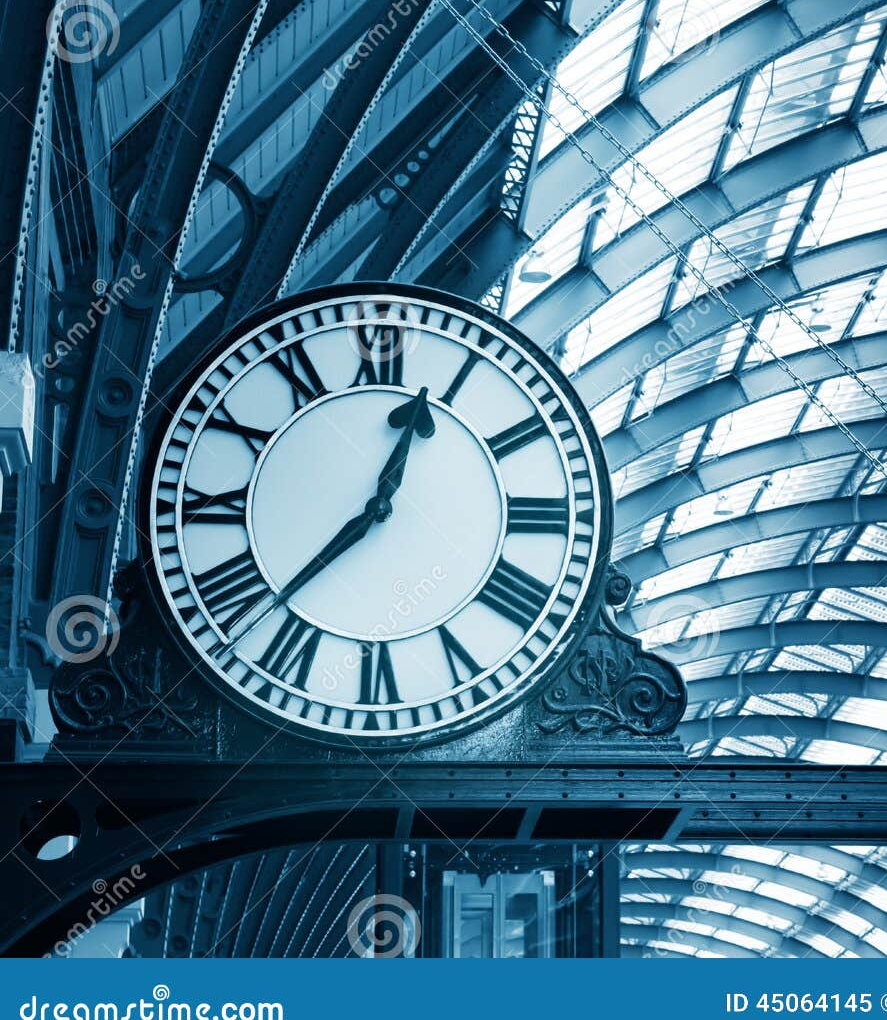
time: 12:37
